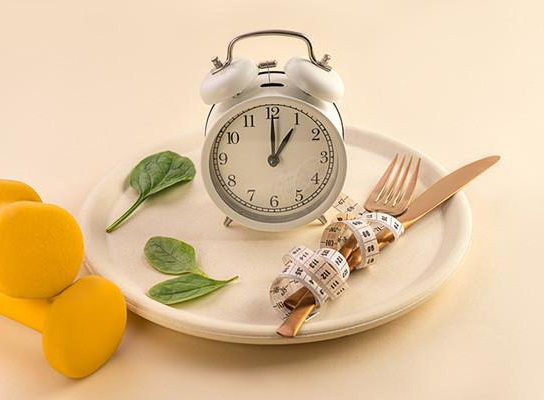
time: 1:00
